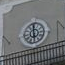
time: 5:59
